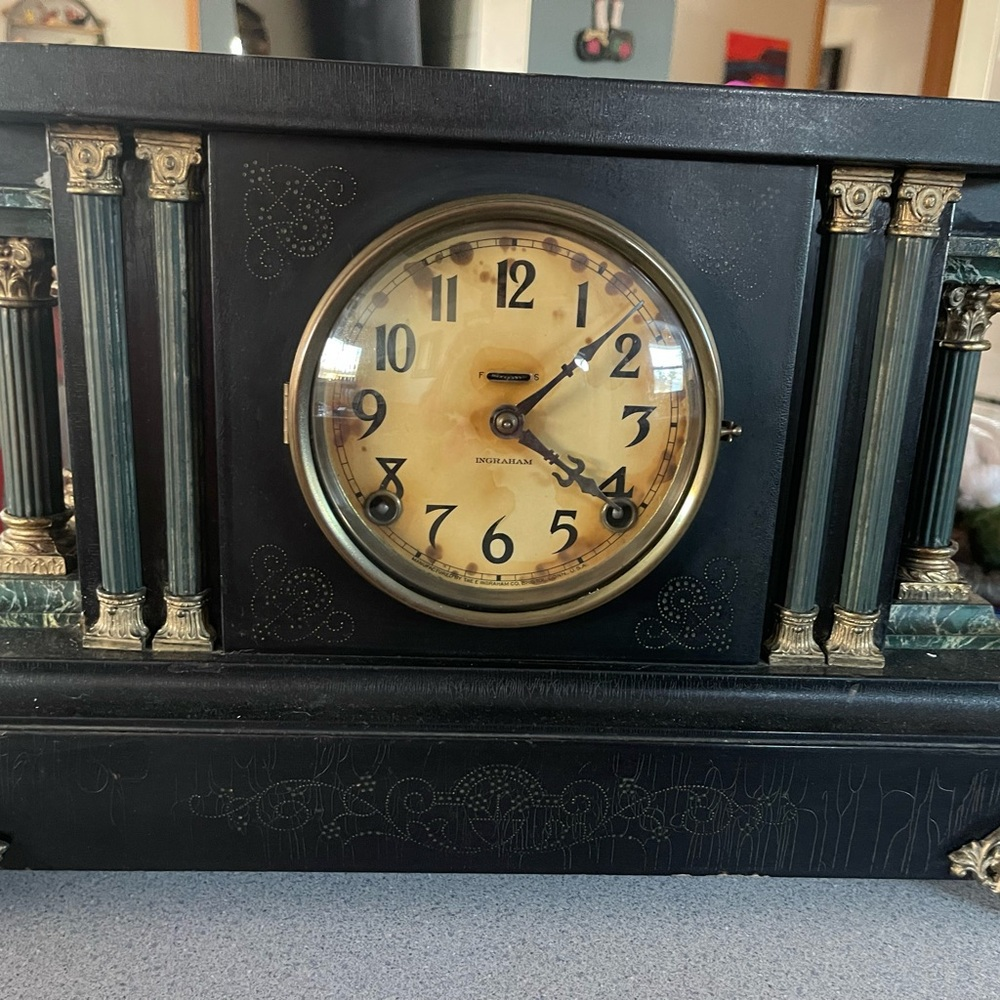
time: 1:21
